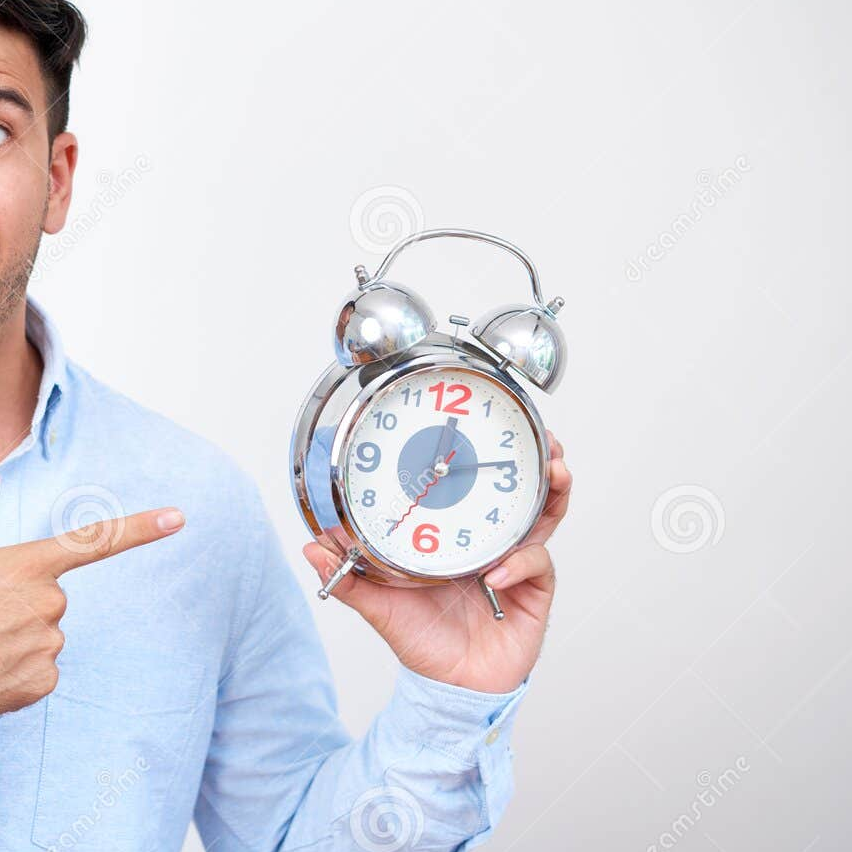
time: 12:13
